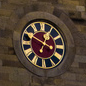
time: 12:49
